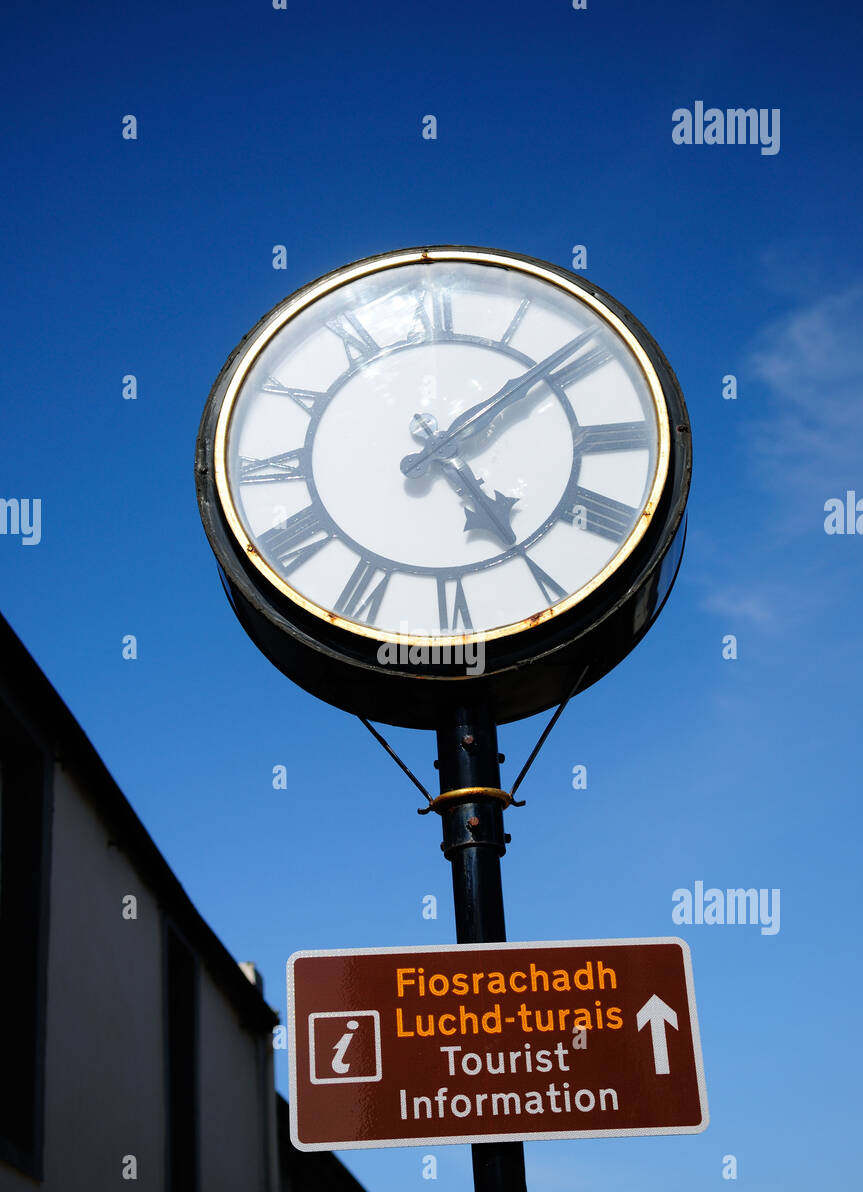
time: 5:08
